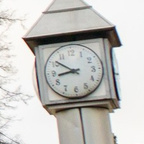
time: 8:51
